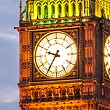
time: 9:35
